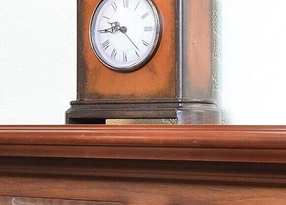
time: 9:45
